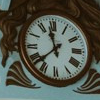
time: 11:38
